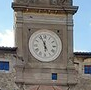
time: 5:56
